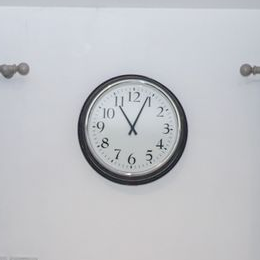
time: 11:04
